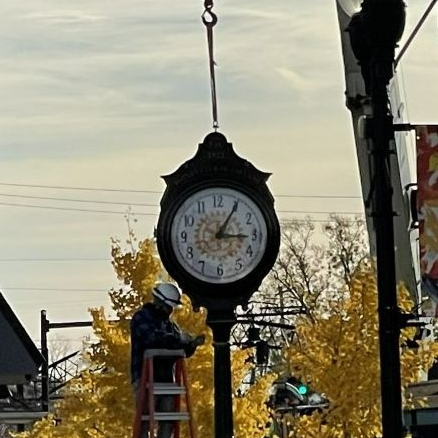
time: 3:05
